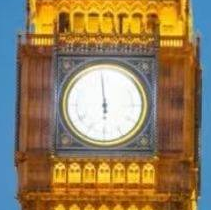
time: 5:59
